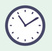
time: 1:54
